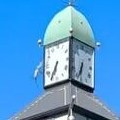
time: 6:34
